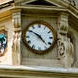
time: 4:50
